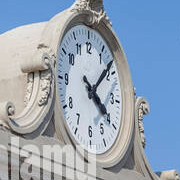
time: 4:07
